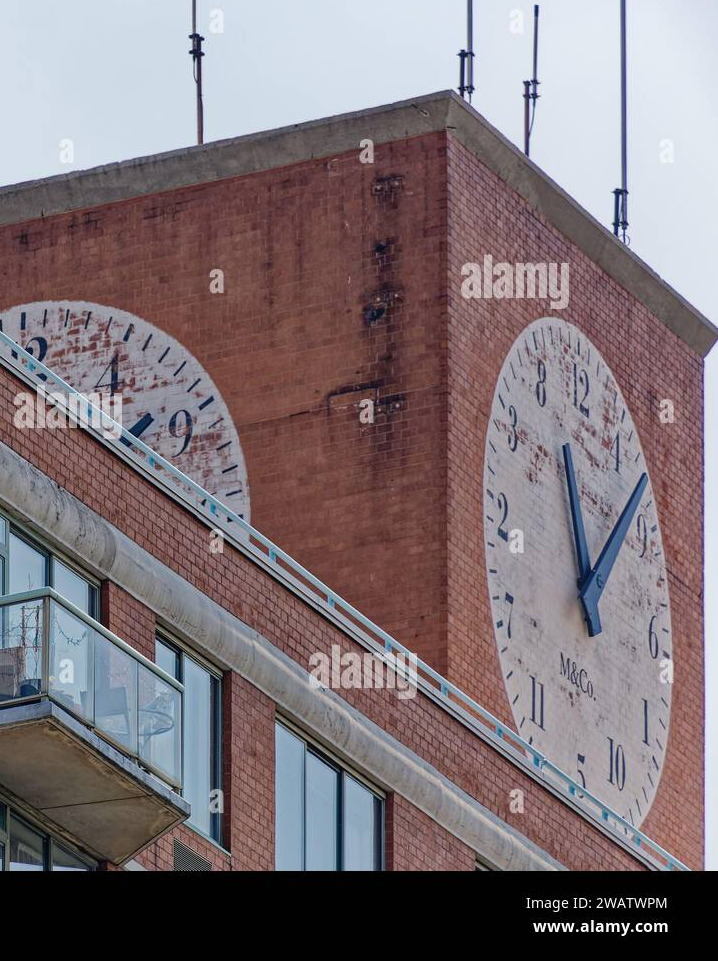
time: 11:07
